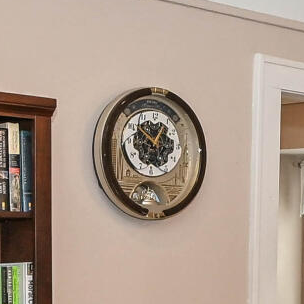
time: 12:52
